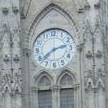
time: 2:38
